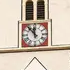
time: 11:53
